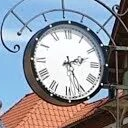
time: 2:25
